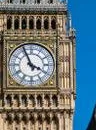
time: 3:56
